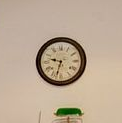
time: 9:32
